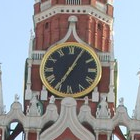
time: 7:04
